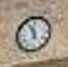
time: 11:56
